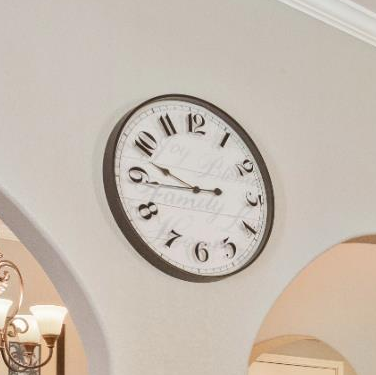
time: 9:44
